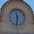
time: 11:31
